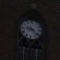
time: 9:22
